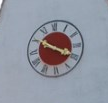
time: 3:50
